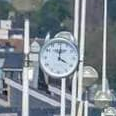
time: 4:01
